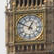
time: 12:49
